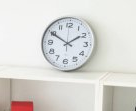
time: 1:50
